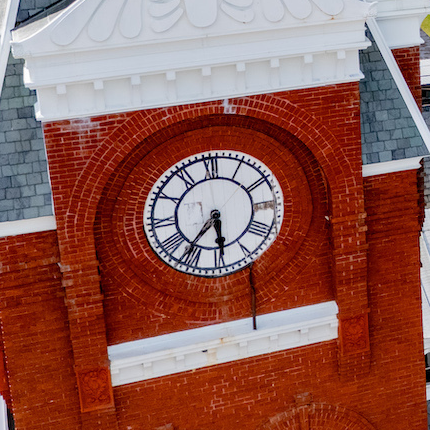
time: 5:36
